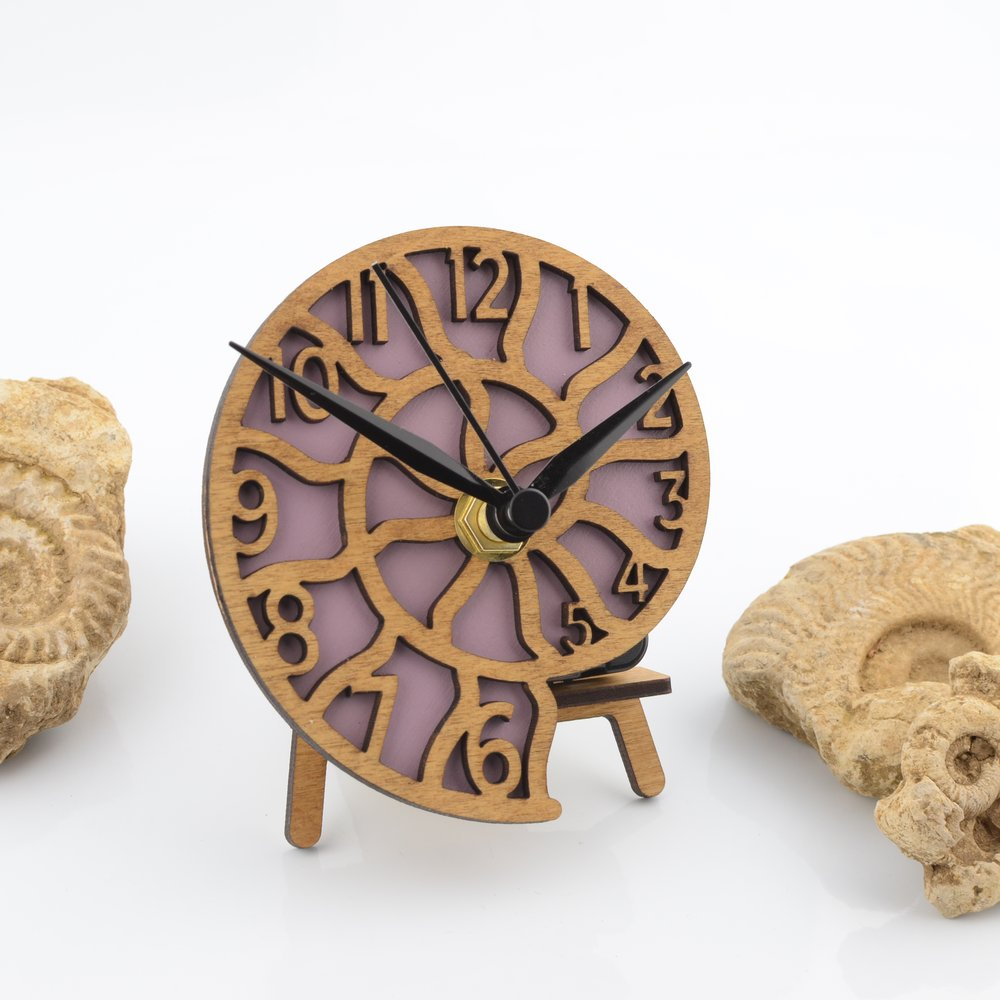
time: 1:49
